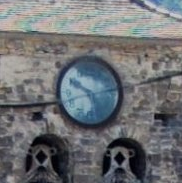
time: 4:49
